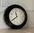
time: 11:39
